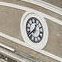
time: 12:38
